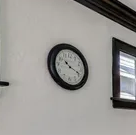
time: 10:18
